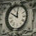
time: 11:49
